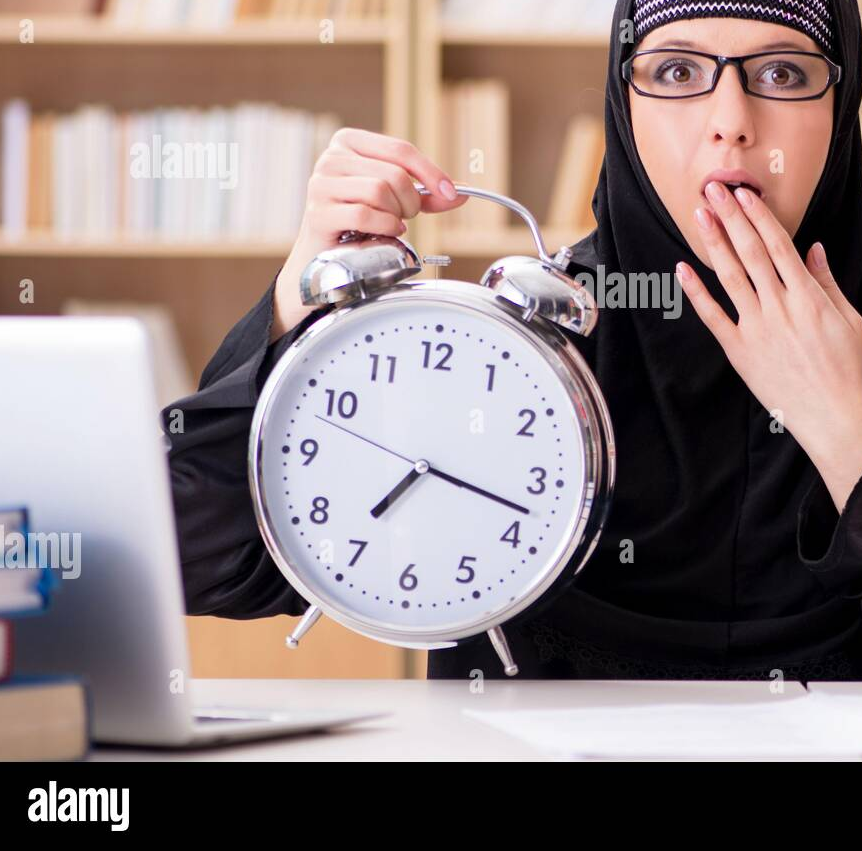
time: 7:17
